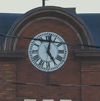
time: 5:01
